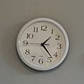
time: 1:22
